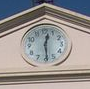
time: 12:29
